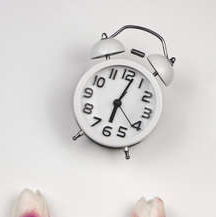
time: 6:02
